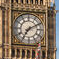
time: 7:10
